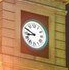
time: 8:49
